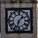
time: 1:33
